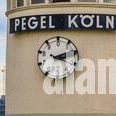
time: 2:18
